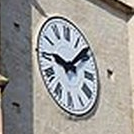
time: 9:08
